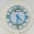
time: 4:31
